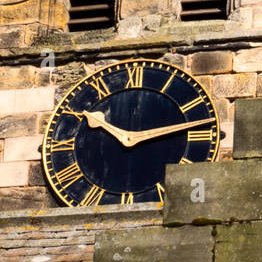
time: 10:13
